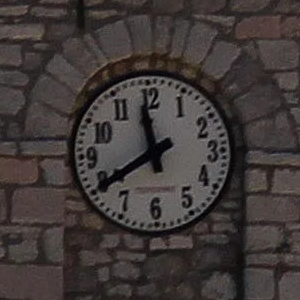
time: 11:40
